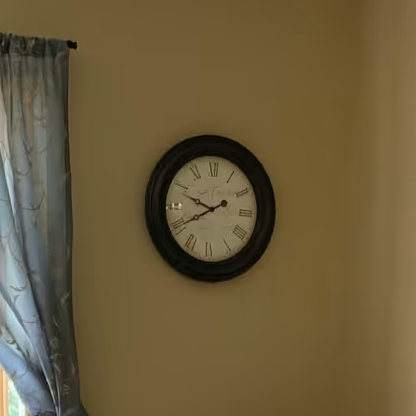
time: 9:40
